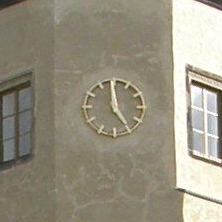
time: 4:59
